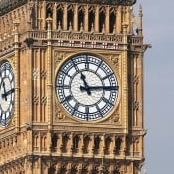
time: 11:13
